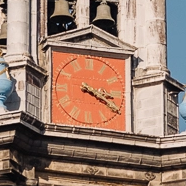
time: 3:19
